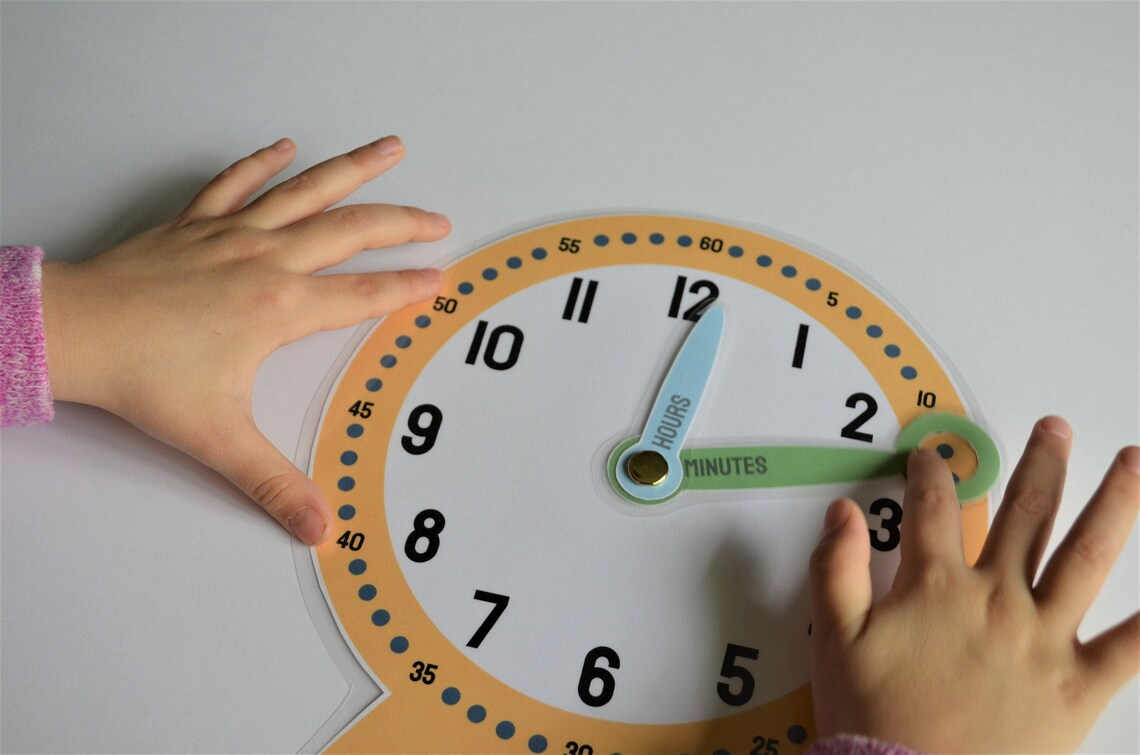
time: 12:13
